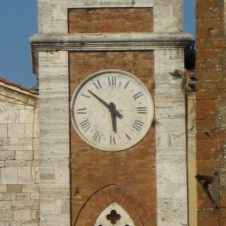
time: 5:51
